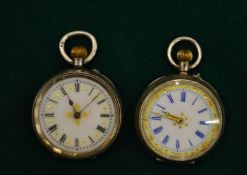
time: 11:07
